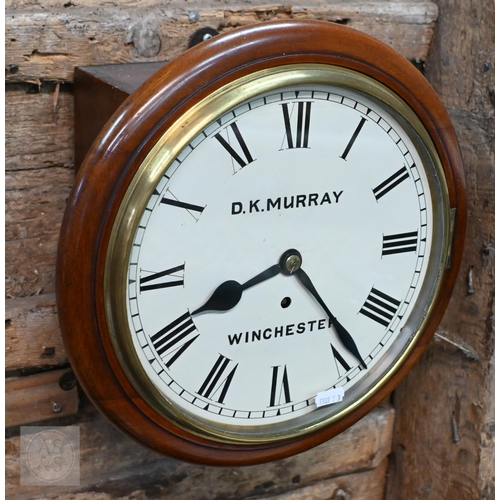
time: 8:23
